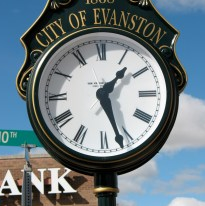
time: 1:26
